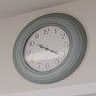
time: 10:21
